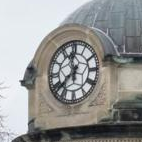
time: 11:37
